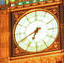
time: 6:40
